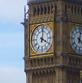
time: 4:01
